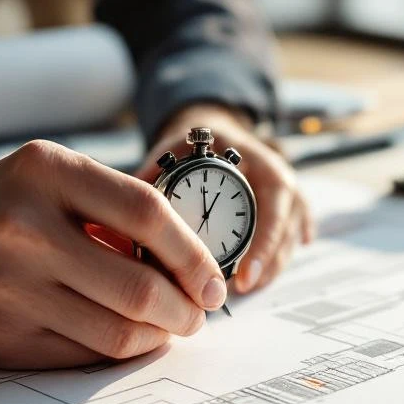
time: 12:59
